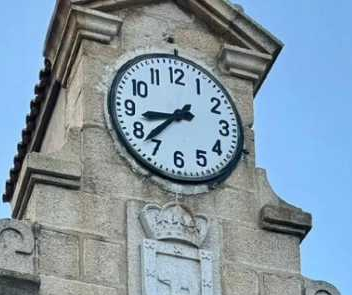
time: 8:37
